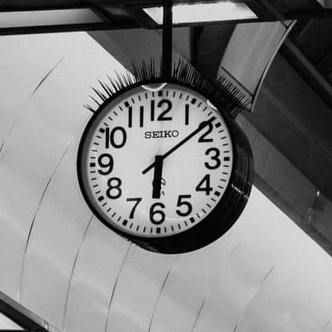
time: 6:08
